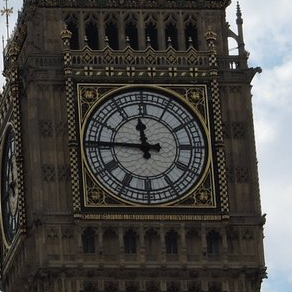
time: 11:45
